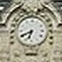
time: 6:40
